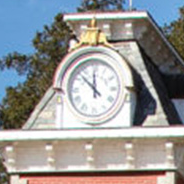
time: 11:52
